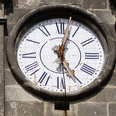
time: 5:02
